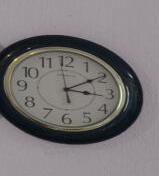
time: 3:09
